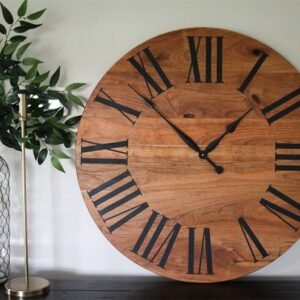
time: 1:52
